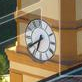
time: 6:39
